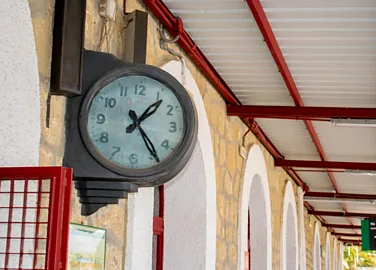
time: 1:23
